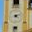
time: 4:12
